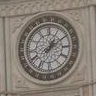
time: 1:09
